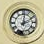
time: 2:01
